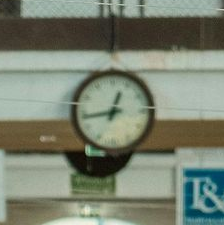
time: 12:43
